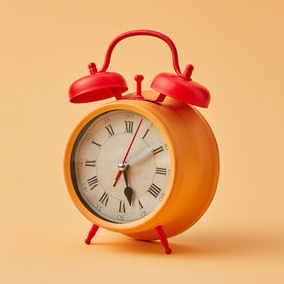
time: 5:10
